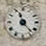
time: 11:23
